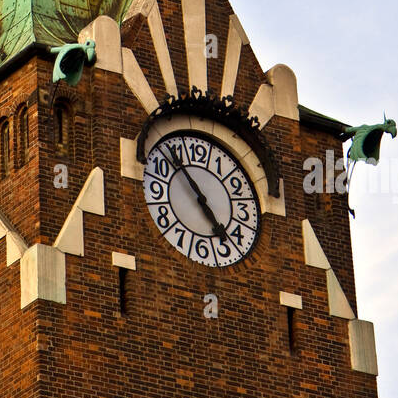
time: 4:53
